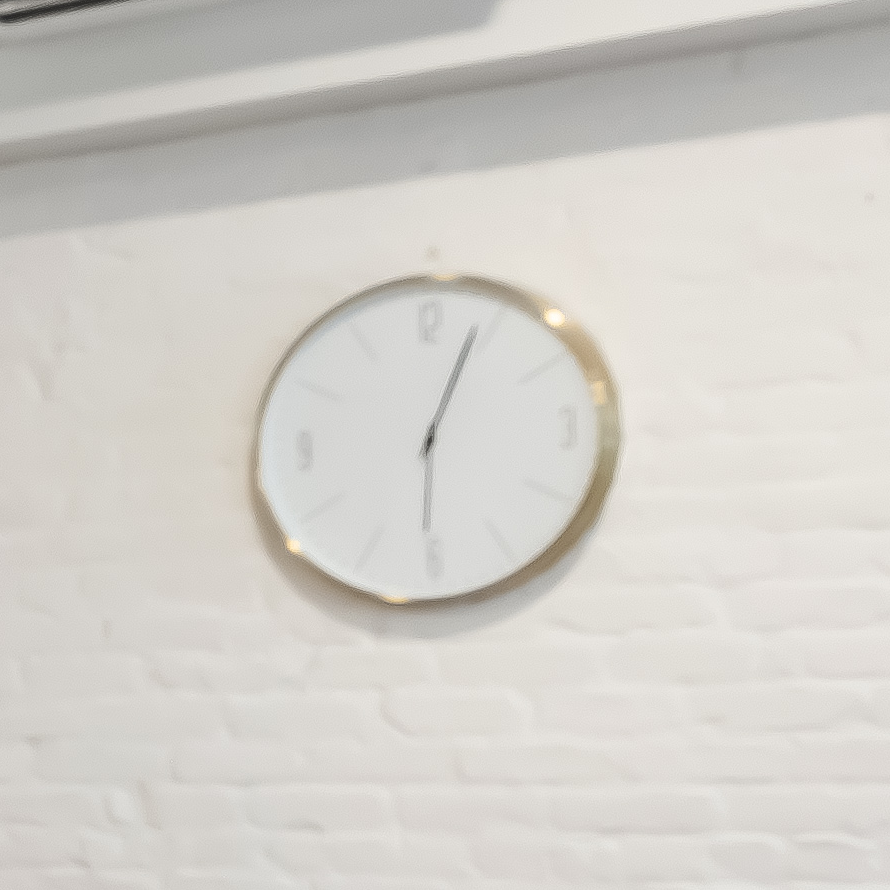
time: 6:03
